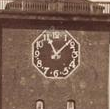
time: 11:07
